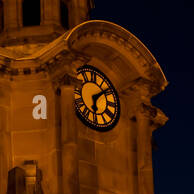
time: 6:08
